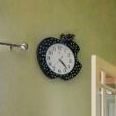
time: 4:22
